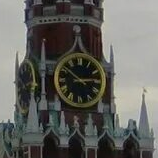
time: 2:51
